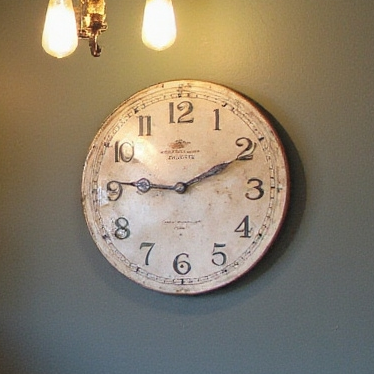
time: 9:10
